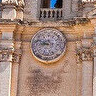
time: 8:47
